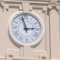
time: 2:57
